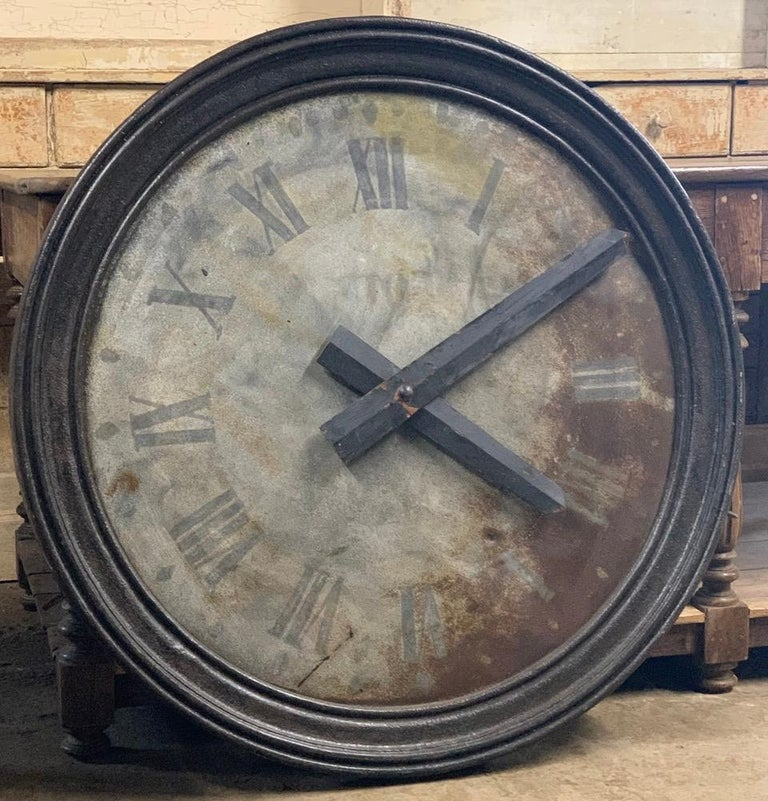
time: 4:09
